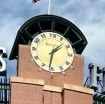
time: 1:31
